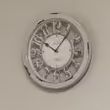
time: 10:06
